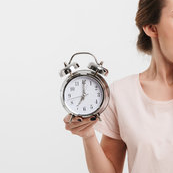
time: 7:00
